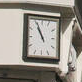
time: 10:55
